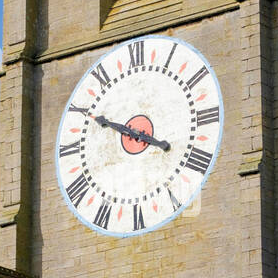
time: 3:49
